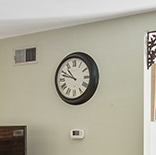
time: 10:47
